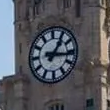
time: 1:16
